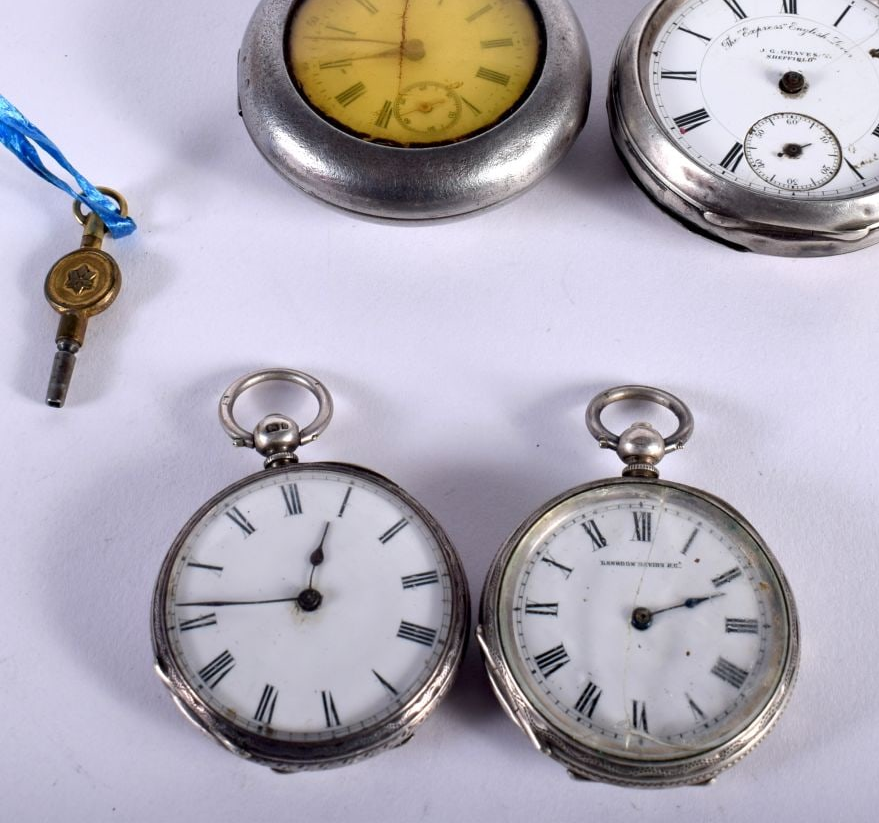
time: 12:46
